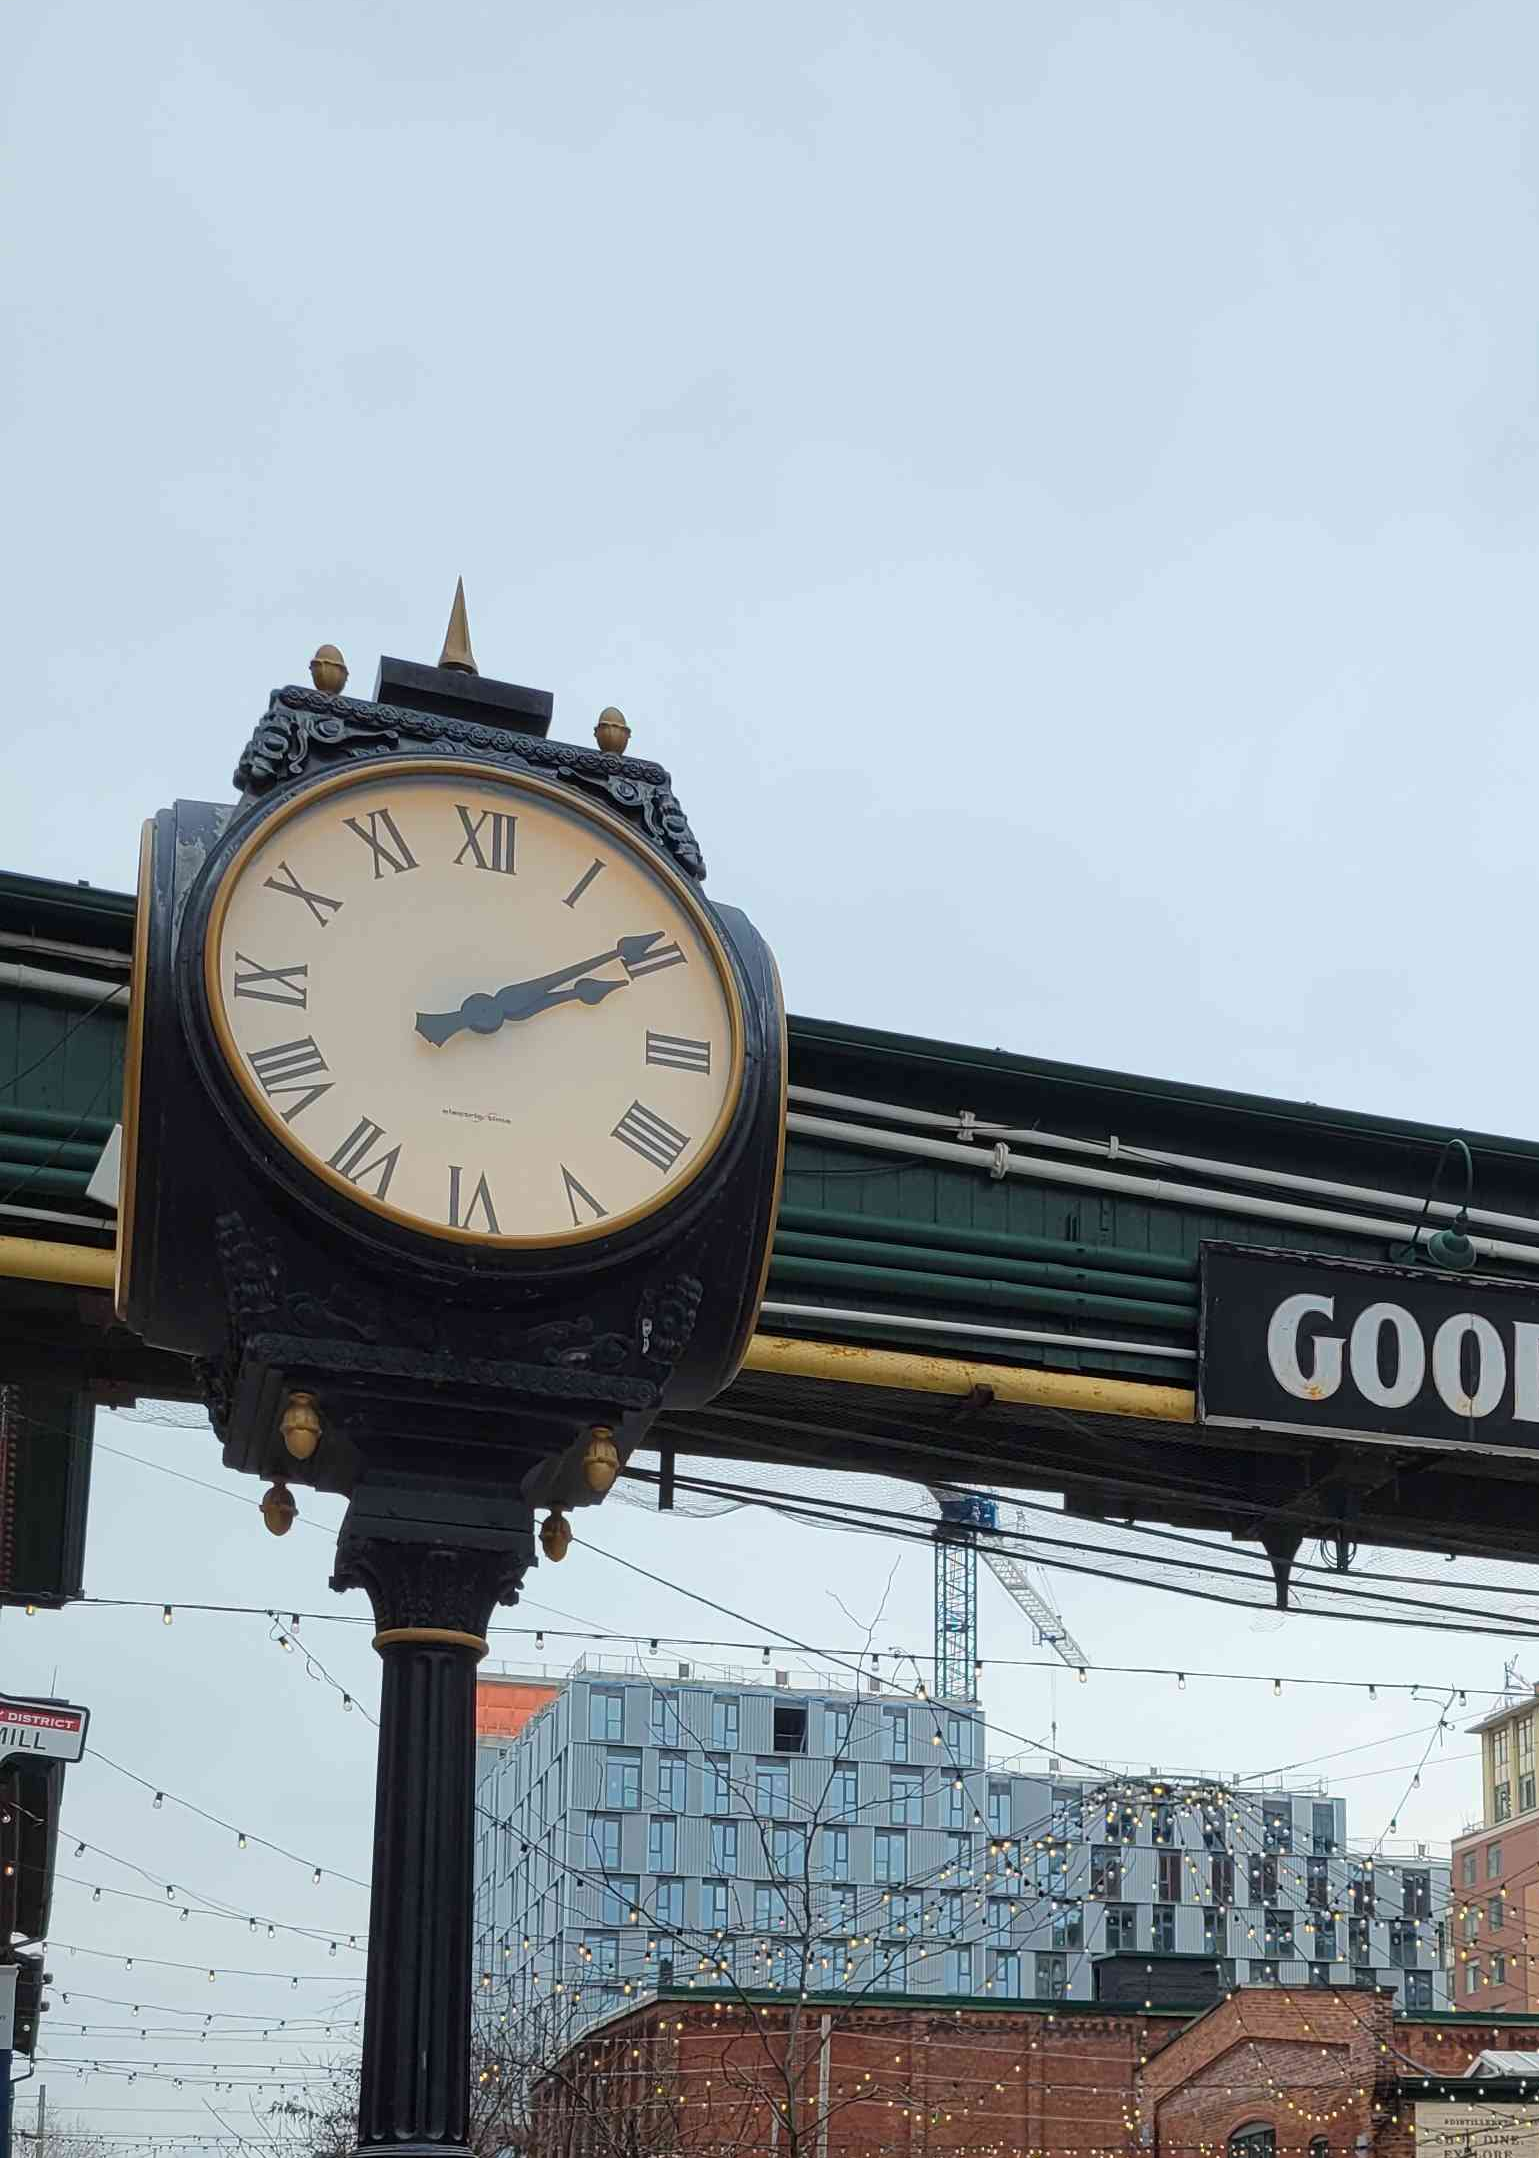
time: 2:09
